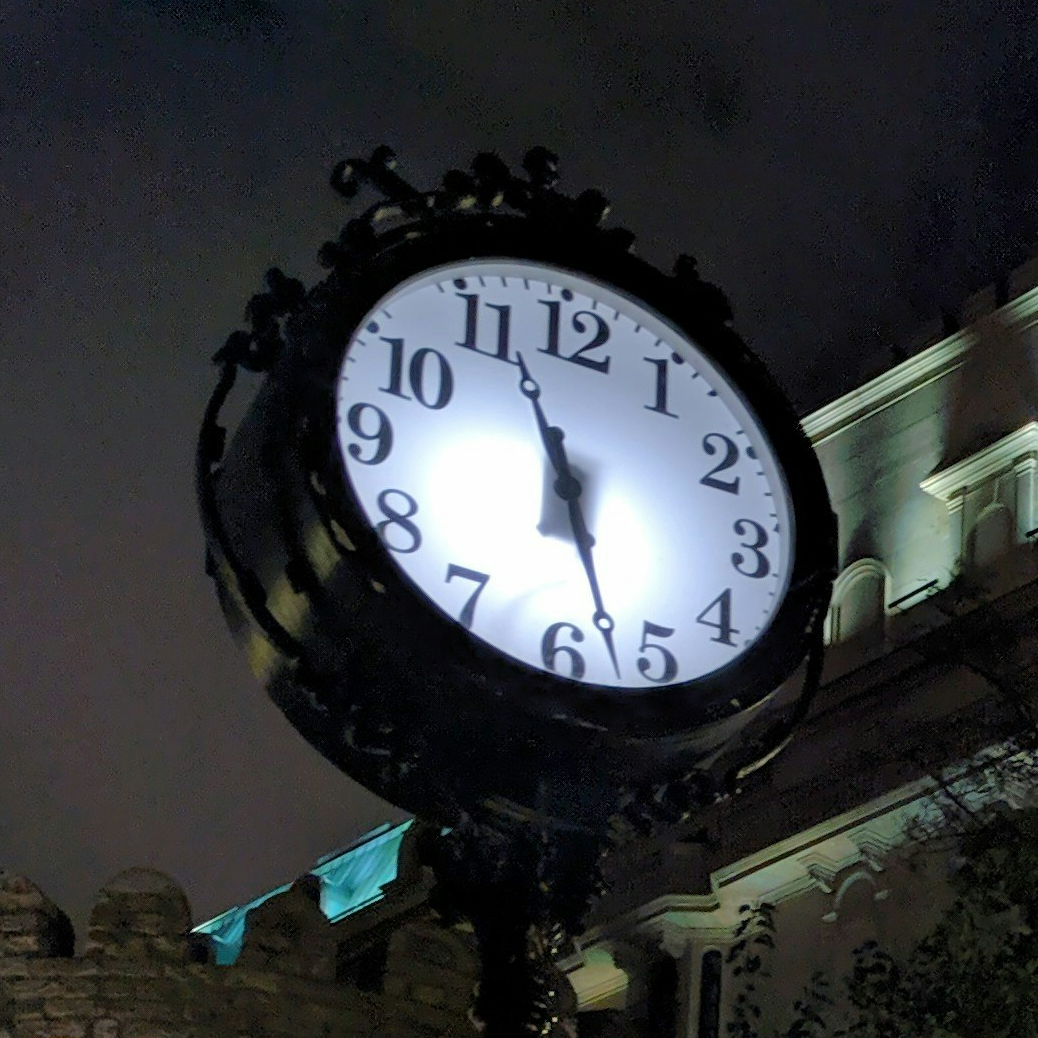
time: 11:27
